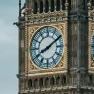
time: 8:09
